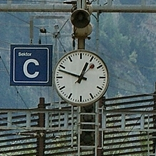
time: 12:48
